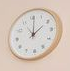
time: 2:00
